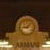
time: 9:07
